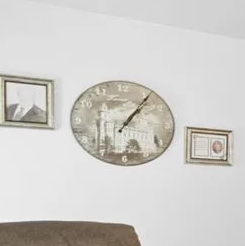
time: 1:06
